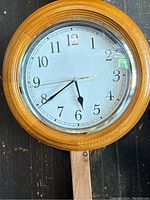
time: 5:39
